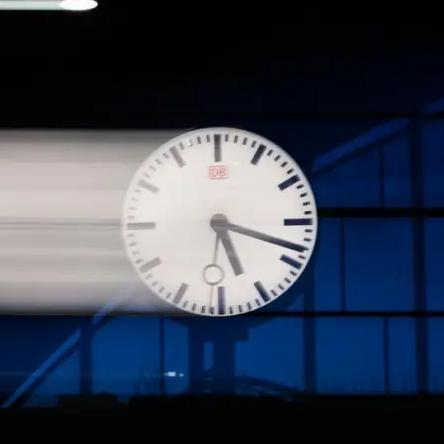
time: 5:18
